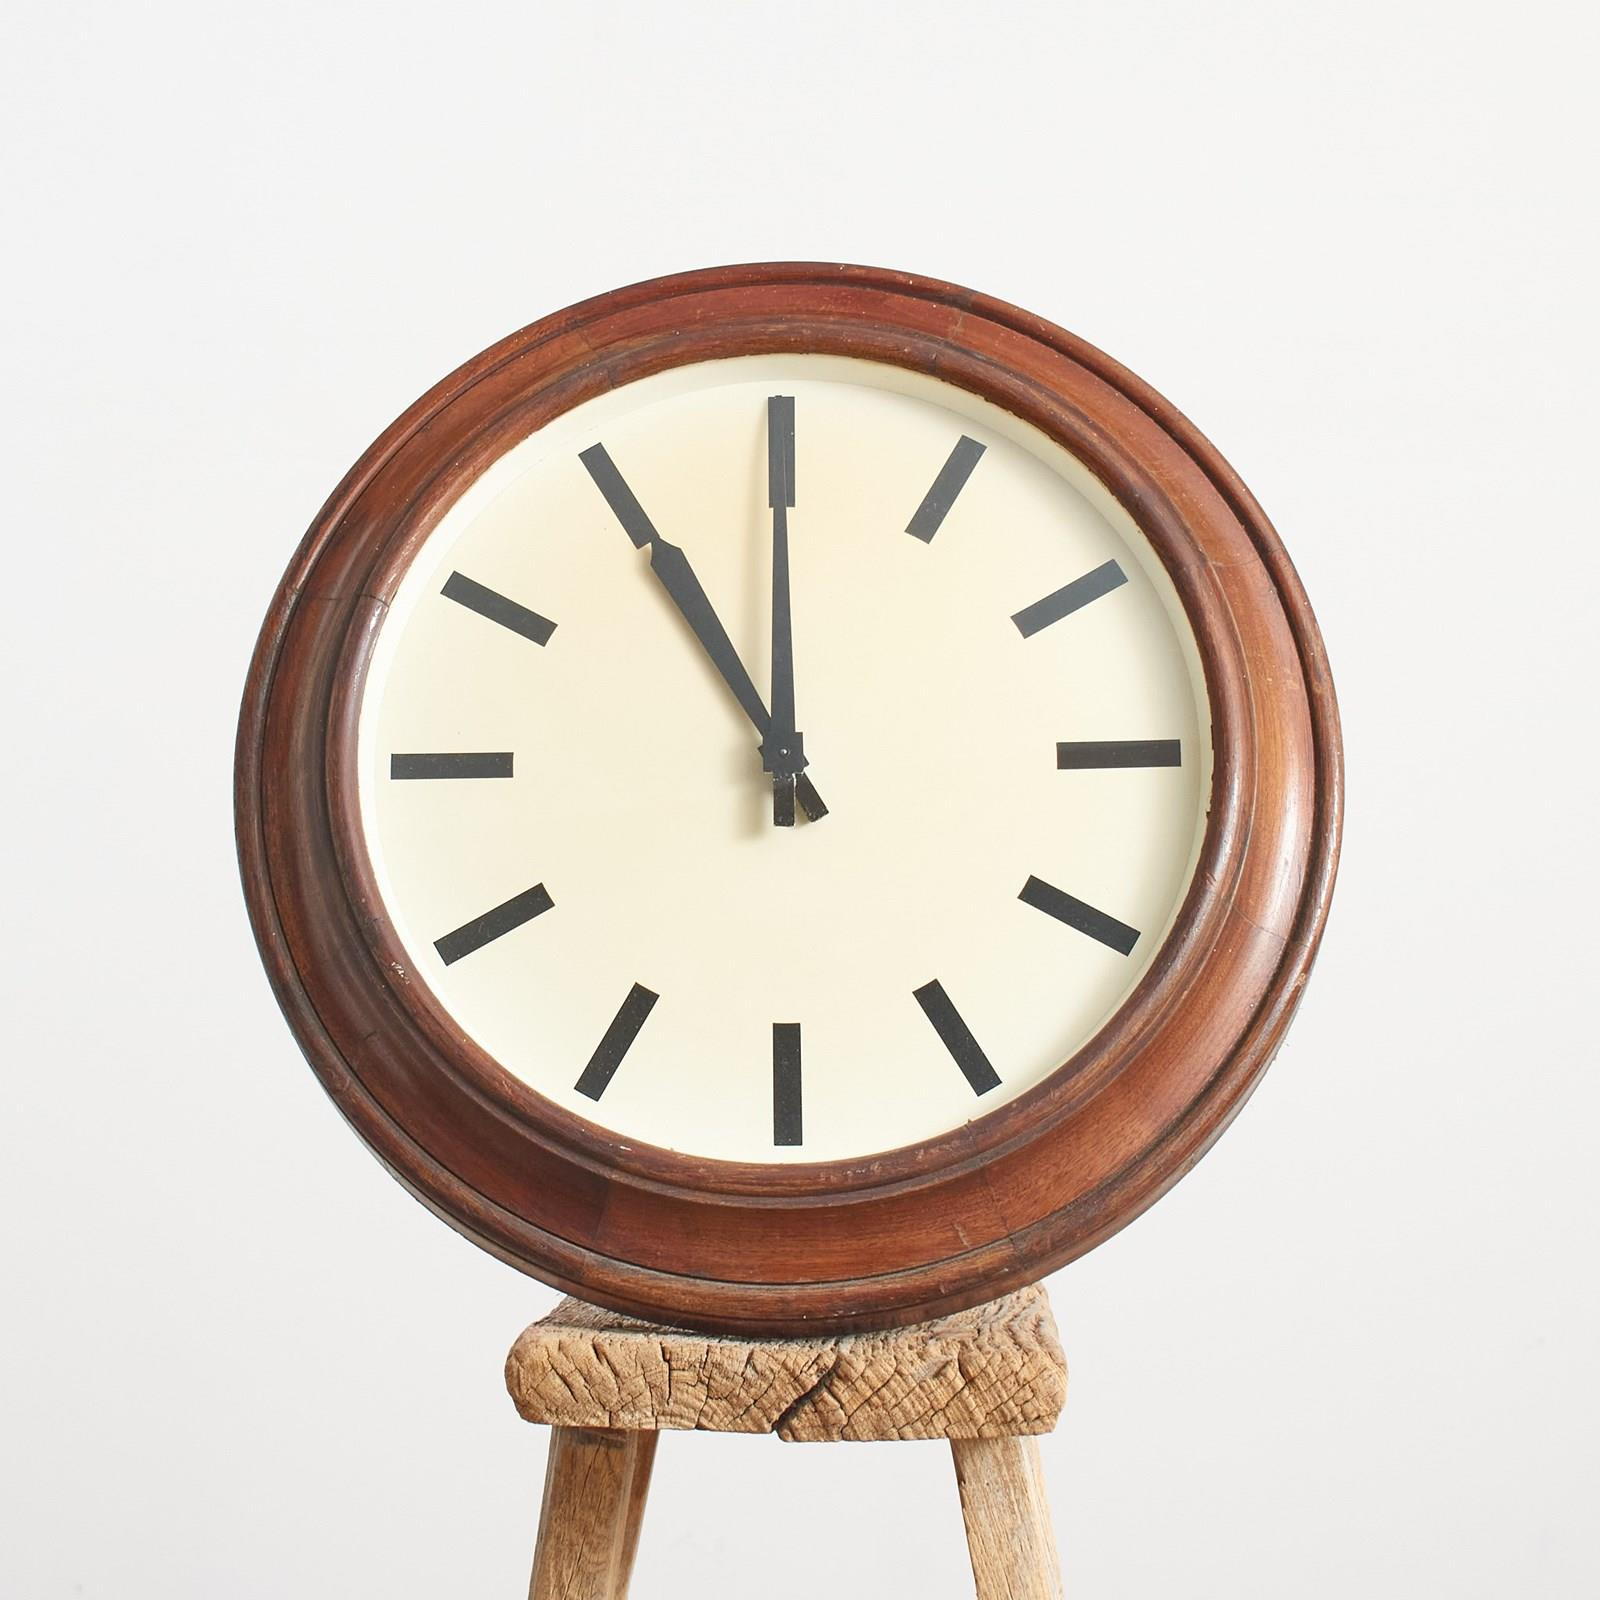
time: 10:59
